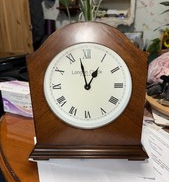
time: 12:57
